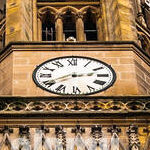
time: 2:40
